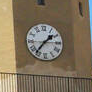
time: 1:36
